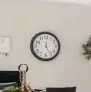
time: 5:00
